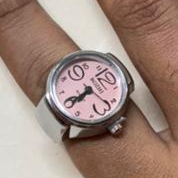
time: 7:41
